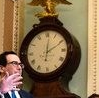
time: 2:01
